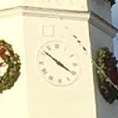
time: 10:20
